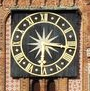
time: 6:15
